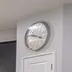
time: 3:47
